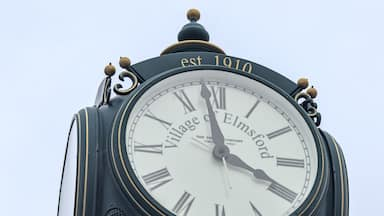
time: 3:58
